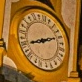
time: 2:43
